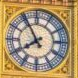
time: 7:54
